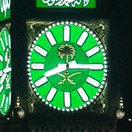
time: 8:14
